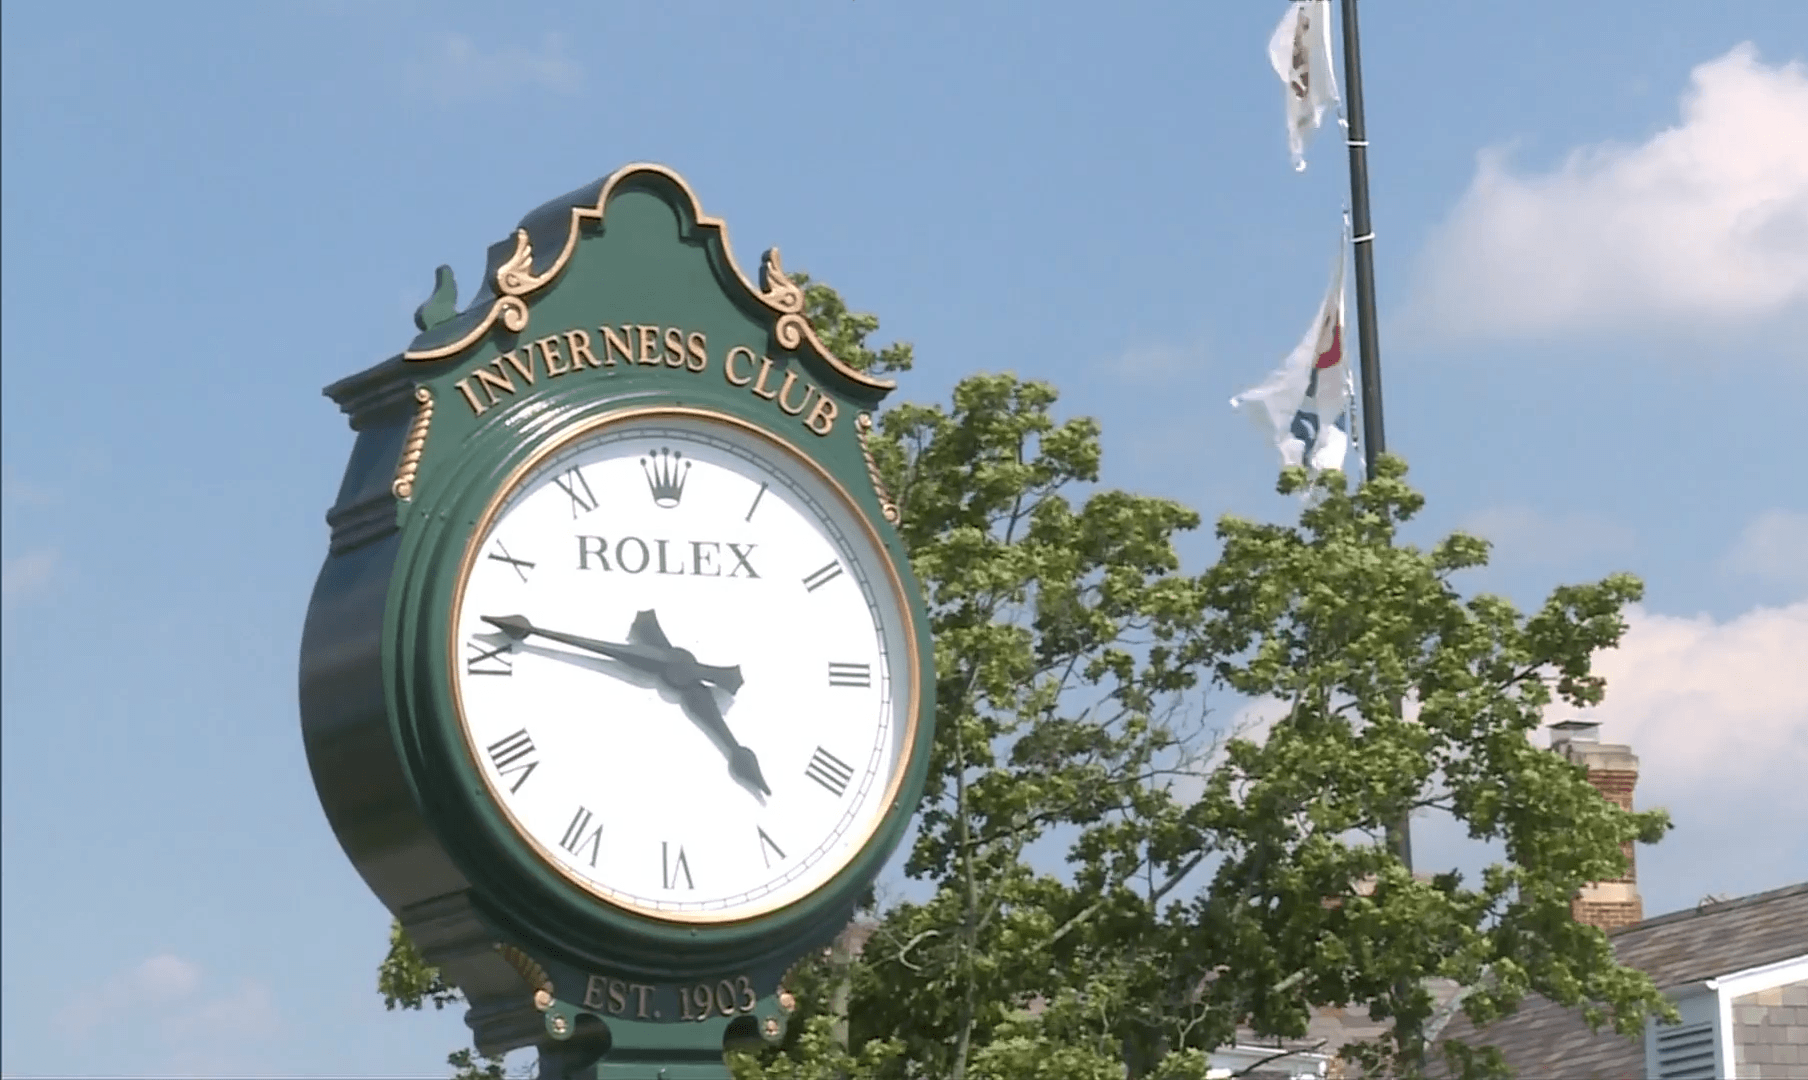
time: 4:46
